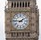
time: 1:46
